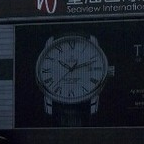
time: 10:12
